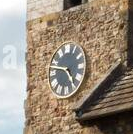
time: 4:46
